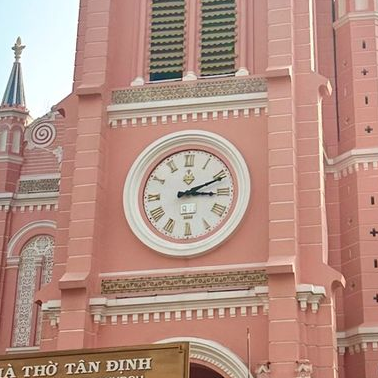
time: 3:11
